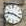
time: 9:20
